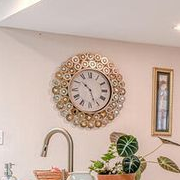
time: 10:26
